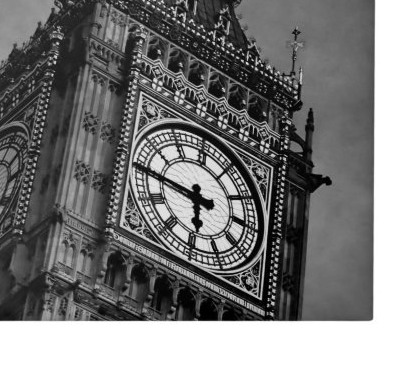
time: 5:45
